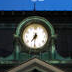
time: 7:31
